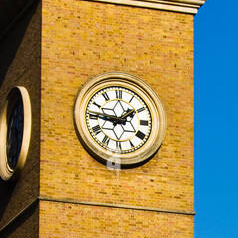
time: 1:45
